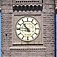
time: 10:45
